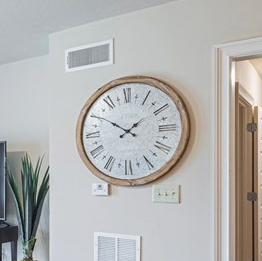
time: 1:50
